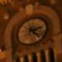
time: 2:21
